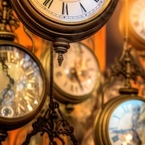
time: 7:25
